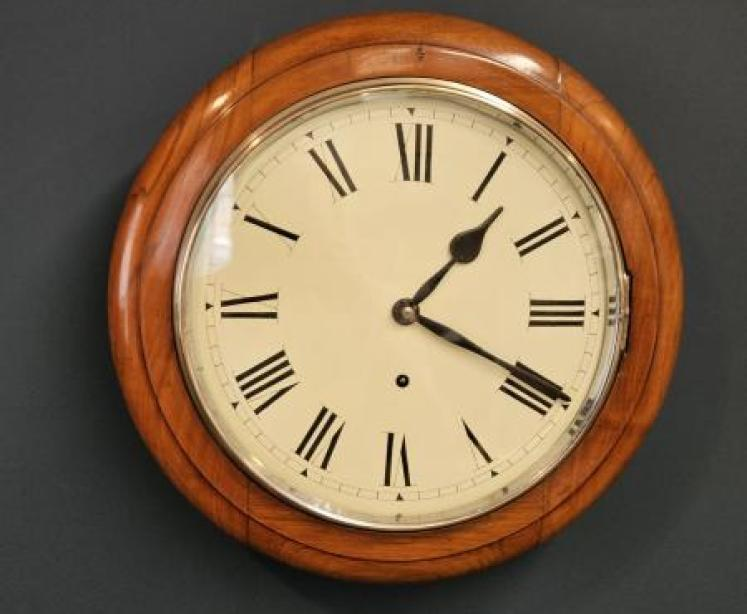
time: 1:19
